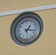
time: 1:16
